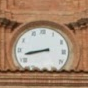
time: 8:42
